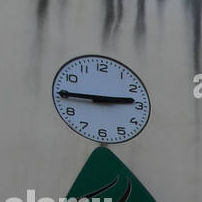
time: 2:45
